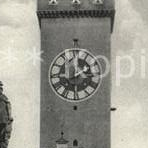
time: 11:40
